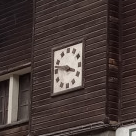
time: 3:47
